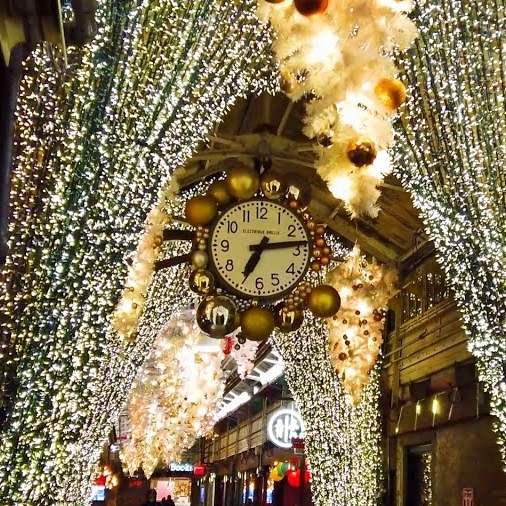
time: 7:14
